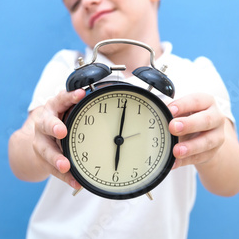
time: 6:01
